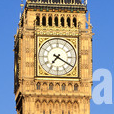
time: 7:20
